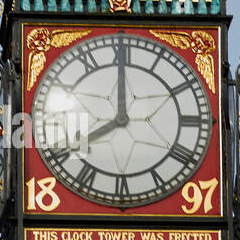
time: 7:59
